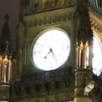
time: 7:25
